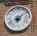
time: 7:08
